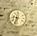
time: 9:33
